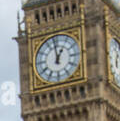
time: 12:59
